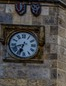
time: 6:42
